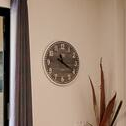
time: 11:20
